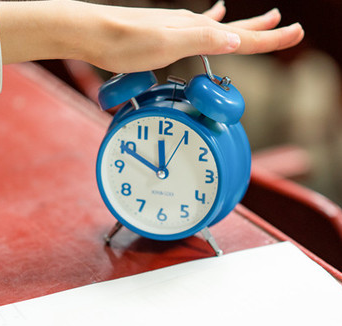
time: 11:49
